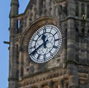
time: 11:40
